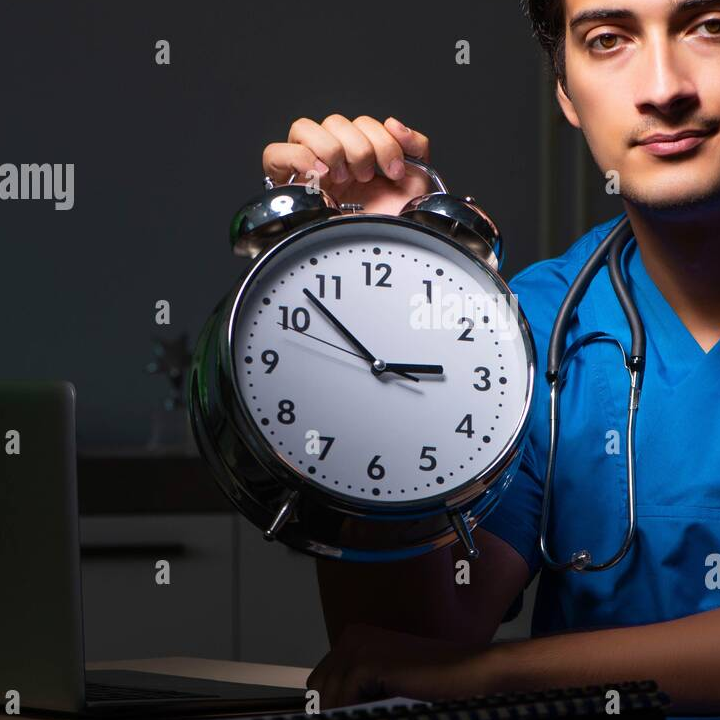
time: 2:52
